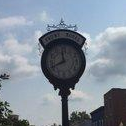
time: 11:41
